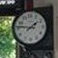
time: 1:46
